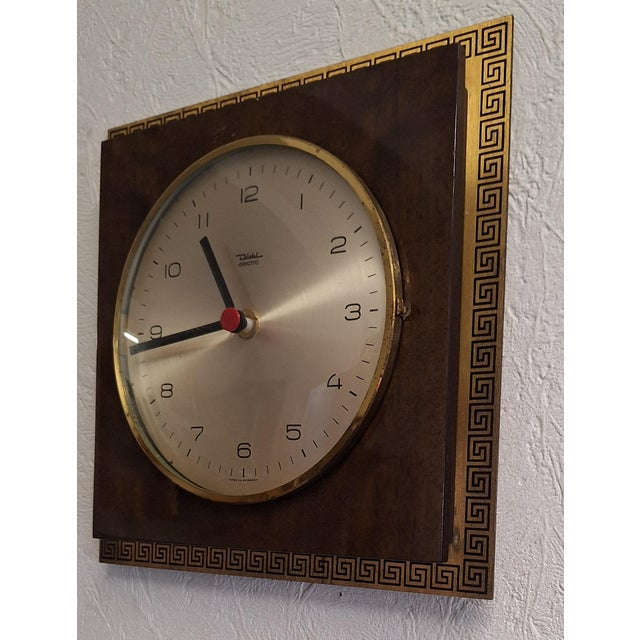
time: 10:43
